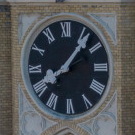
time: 8:06
